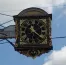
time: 11:21
